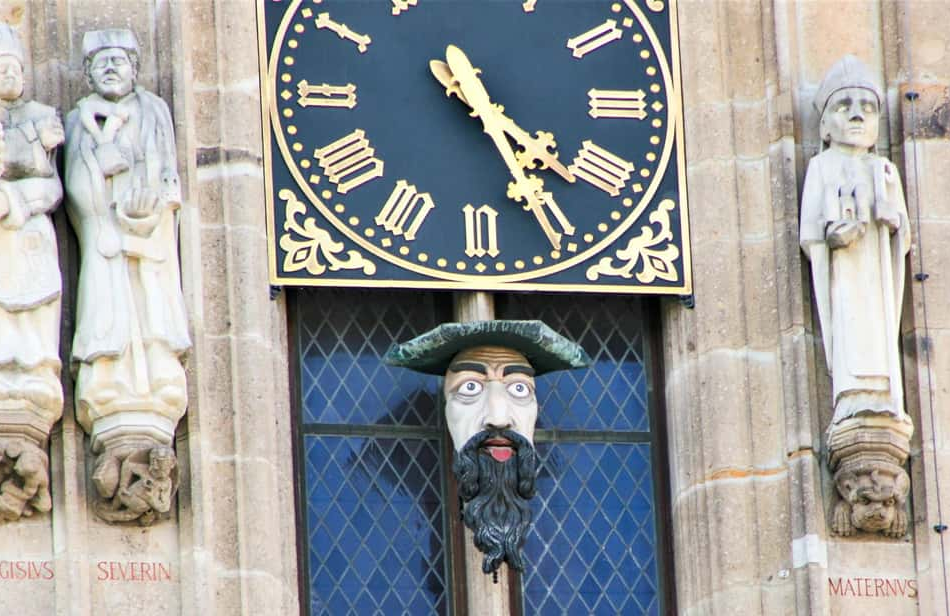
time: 4:25
